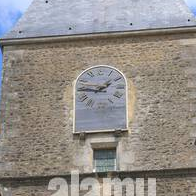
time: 1:46
